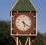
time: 5:20
